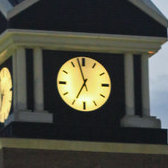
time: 6:57
